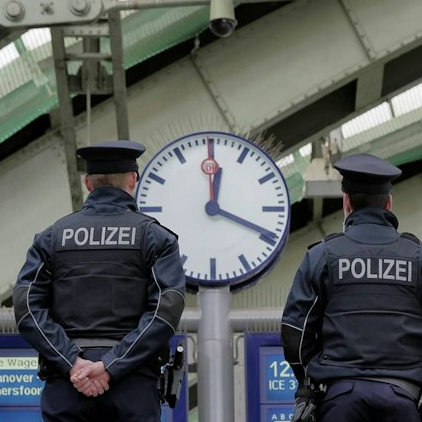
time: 12:18
